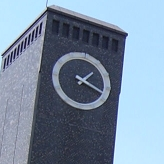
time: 1:18
